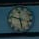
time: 9:27
